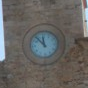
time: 11:53
